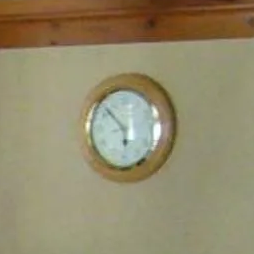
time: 5:52
